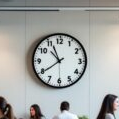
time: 10:39
